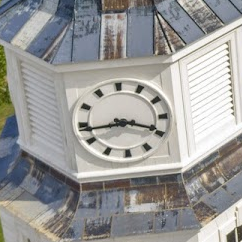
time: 3:43
